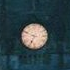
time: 6:48
